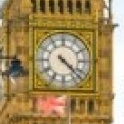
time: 4:22
